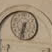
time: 6:32
